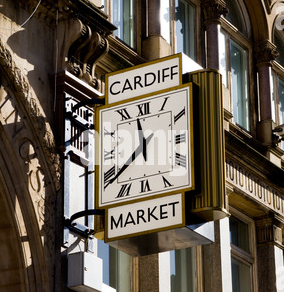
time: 11:38
